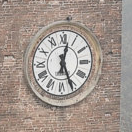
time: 12:25
